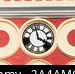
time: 3:57
